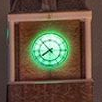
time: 7:53
